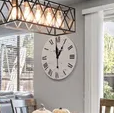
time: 12:58
